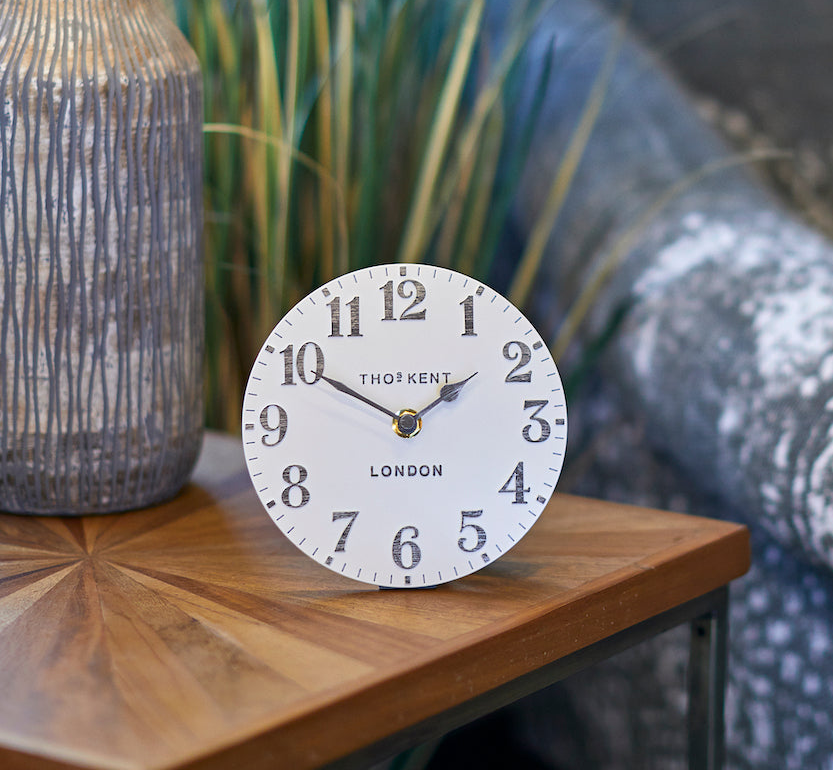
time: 1:49
